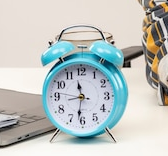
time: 11:31
